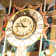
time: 10:45
